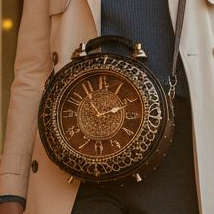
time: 1:54
